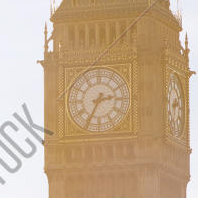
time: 2:34
